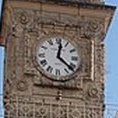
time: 12:21
